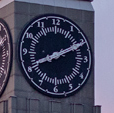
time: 8:10
